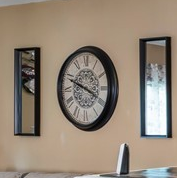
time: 3:48
